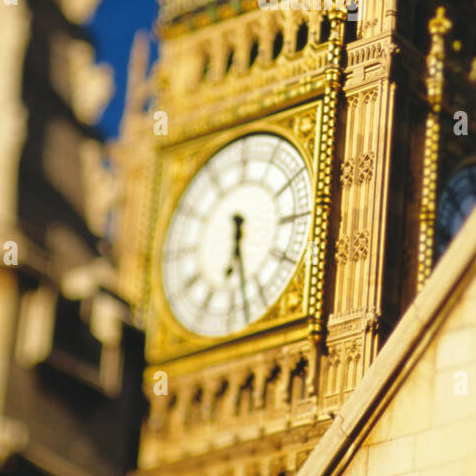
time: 6:28
